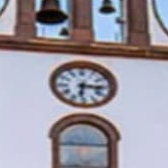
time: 6:15
